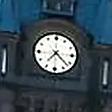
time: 7:22
